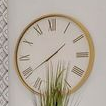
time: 1:39
